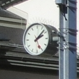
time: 2:07
